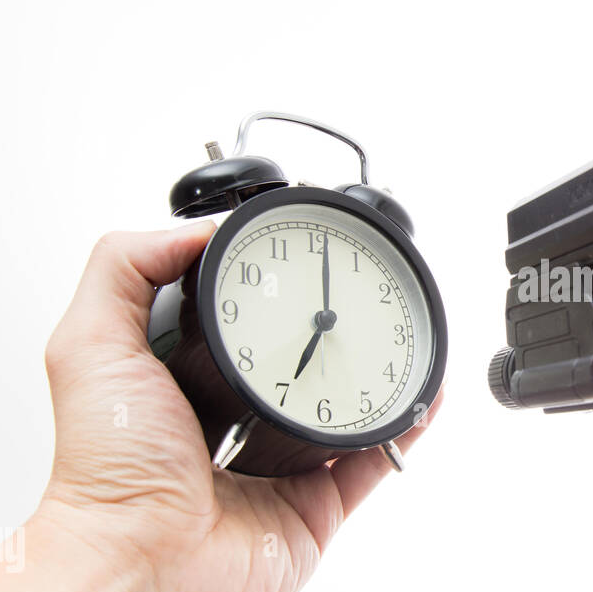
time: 7:01
